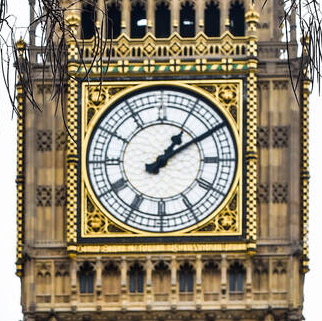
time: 1:09
